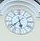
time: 5:38
